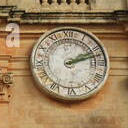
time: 2:12
